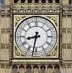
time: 8:32
